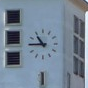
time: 10:45
